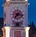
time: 7:17
